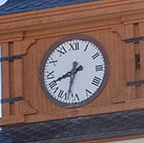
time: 6:41
